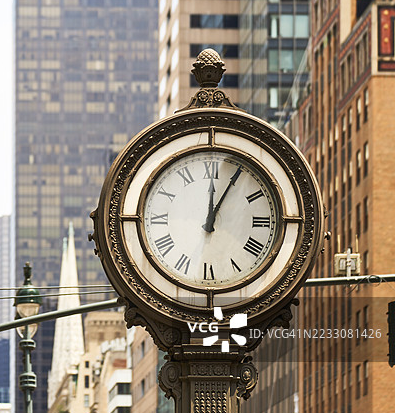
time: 12:04
